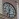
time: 11:32
